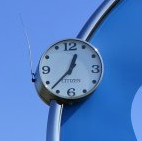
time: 12:37
